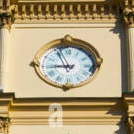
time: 8:56
